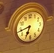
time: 6:43
